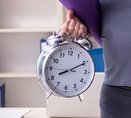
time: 8:10
